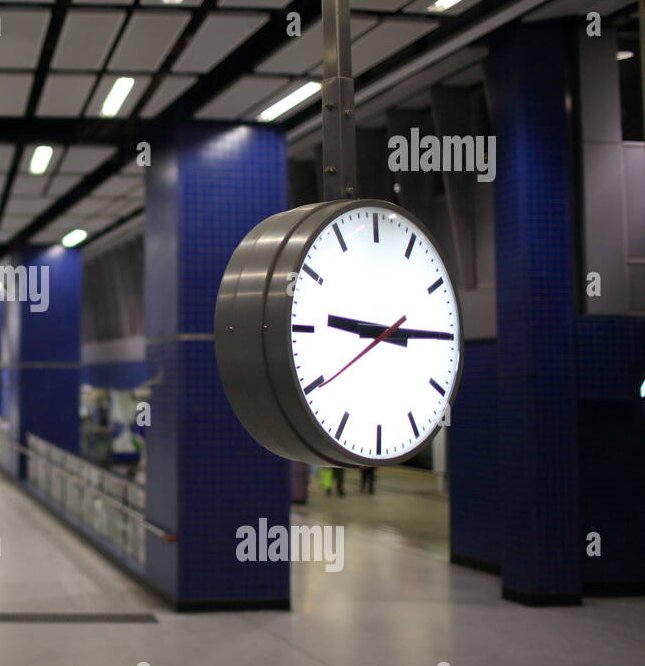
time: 9:15
